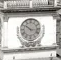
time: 10:16
